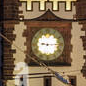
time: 9:15
